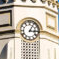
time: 3:05
